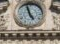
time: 4:57
